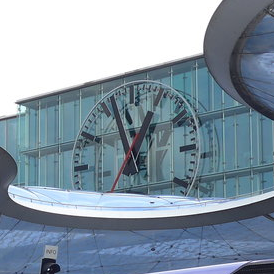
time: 12:57
